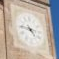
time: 4:46
